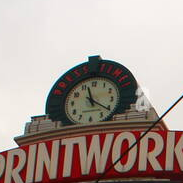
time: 11:21
